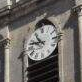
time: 10:47
